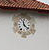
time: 11:21
